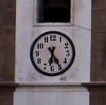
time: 6:24
